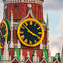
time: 3:52
